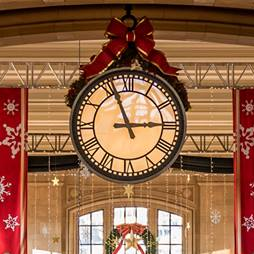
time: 2:56
